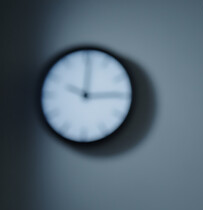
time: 12:14
